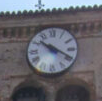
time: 10:19
